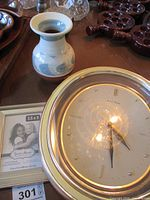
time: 4:29
